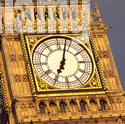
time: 7:03
